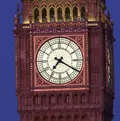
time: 7:20
